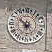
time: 5:51
